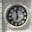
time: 11:33
